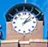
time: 2:06
